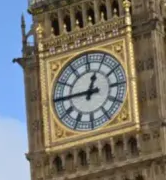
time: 12:45
